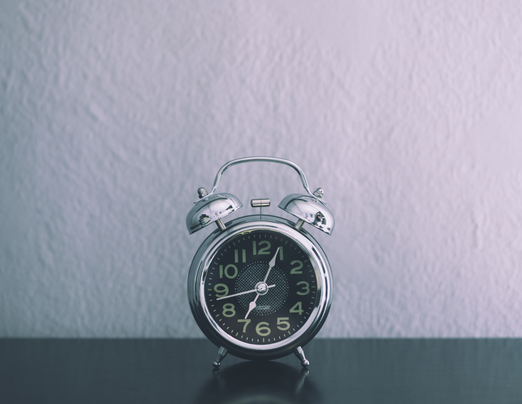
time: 7:04
